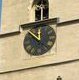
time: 11:52
